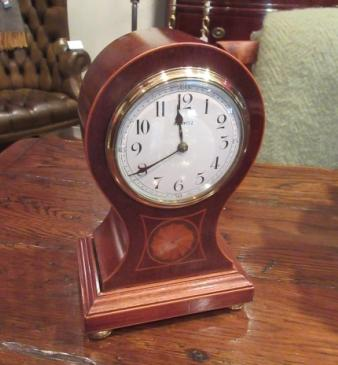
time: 11:40
